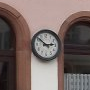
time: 2:51
